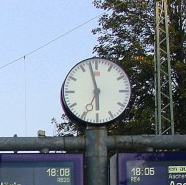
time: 5:57
